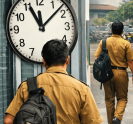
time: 11:07
